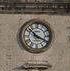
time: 10:19
